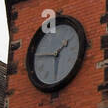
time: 1:46
